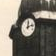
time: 12:12
